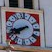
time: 7:41
